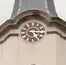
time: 5:15
